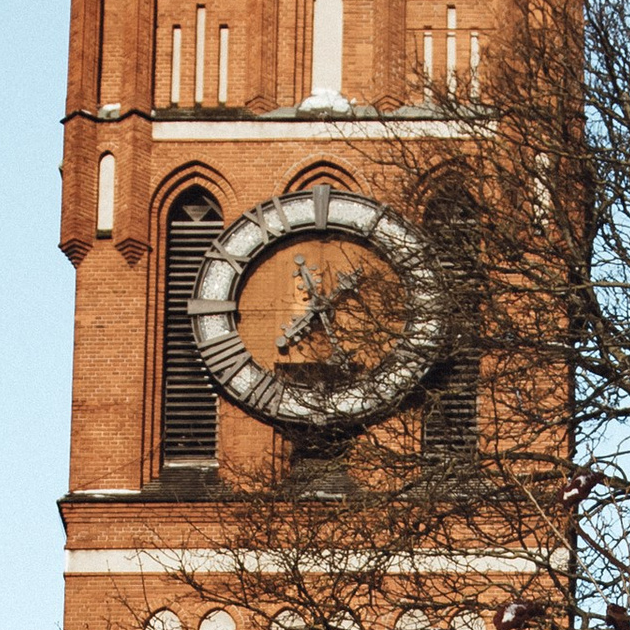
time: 6:56
